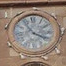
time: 3:54
